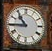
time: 10:44
